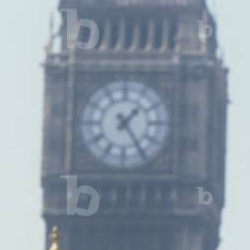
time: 1:24
